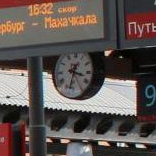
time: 3:32
